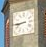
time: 8:44
